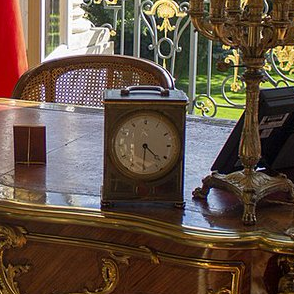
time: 4:30
